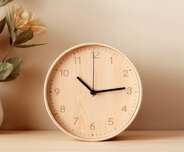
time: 10:13
